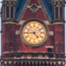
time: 4:44
